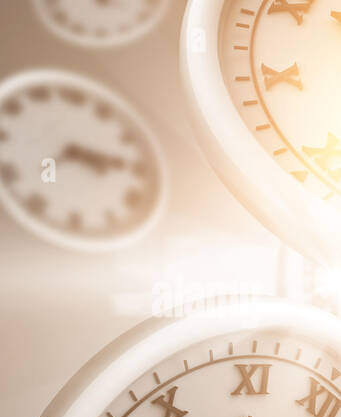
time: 3:14
